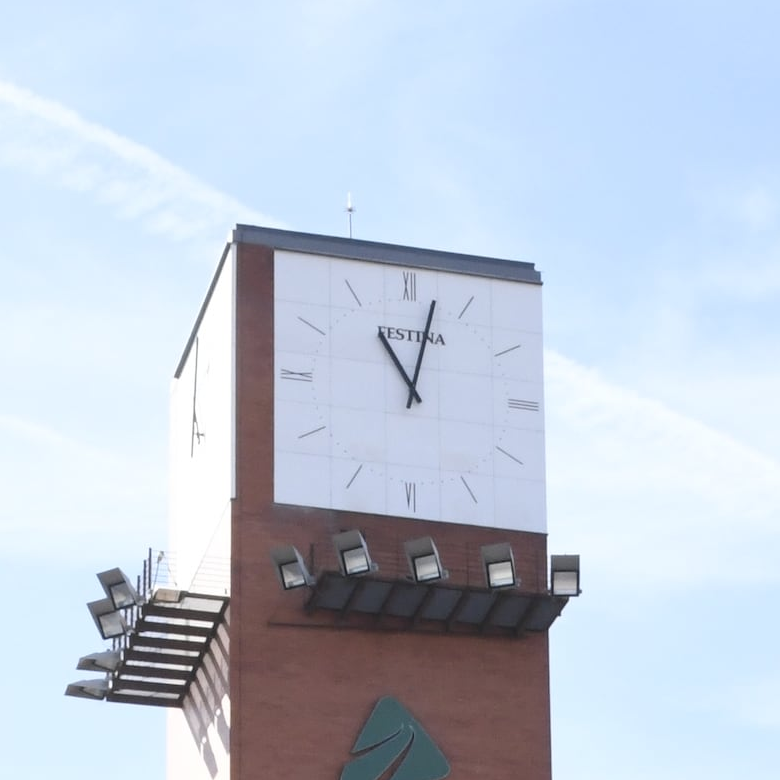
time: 11:02
